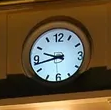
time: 9:42
